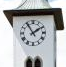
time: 1:54
